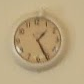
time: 1:25
